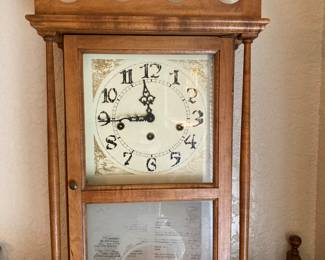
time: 8:58
